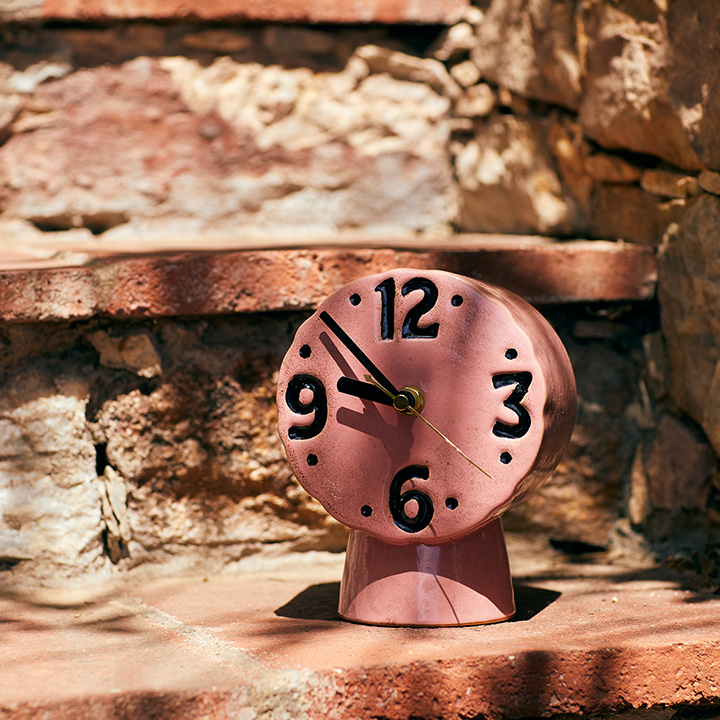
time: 9:53
